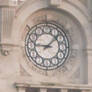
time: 9:07
